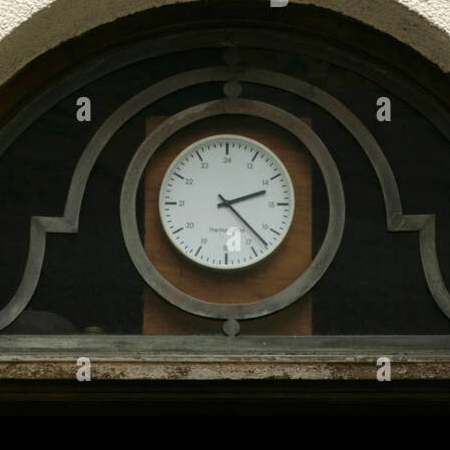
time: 2:22
